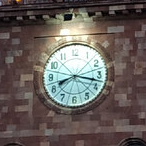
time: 8:17
